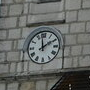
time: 1:58
